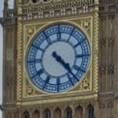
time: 4:22
